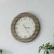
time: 3:24
